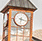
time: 6:17
